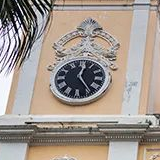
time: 12:23
